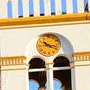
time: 10:17
